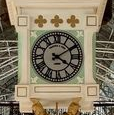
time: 4:09
